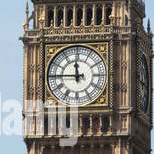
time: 11:45
